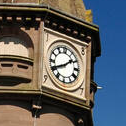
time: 1:40
